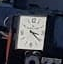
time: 3:21
